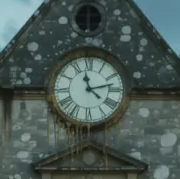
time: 11:12
